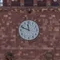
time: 11:48
